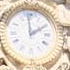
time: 1:59
